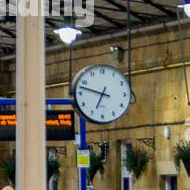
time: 6:47
